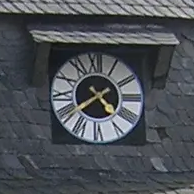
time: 4:39
